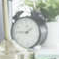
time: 1:45
